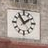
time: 1:54
